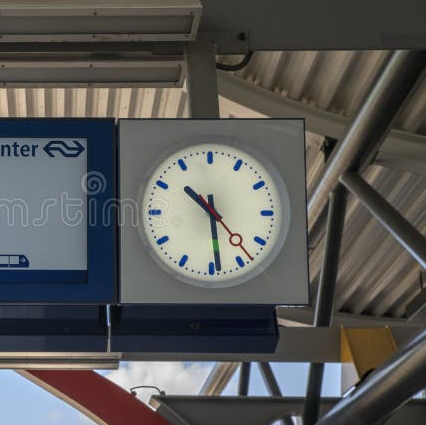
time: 10:28
